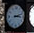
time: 3:12
